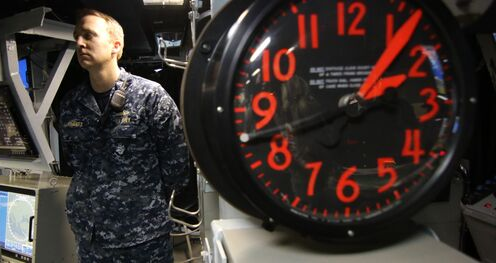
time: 2:06
